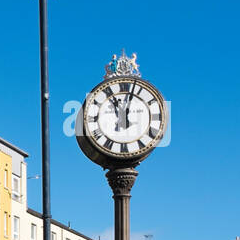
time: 11:02
